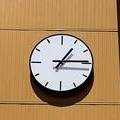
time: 1:14
